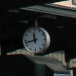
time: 11:42
